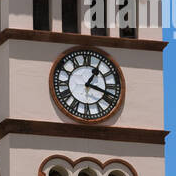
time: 1:18
